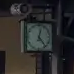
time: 12:23
